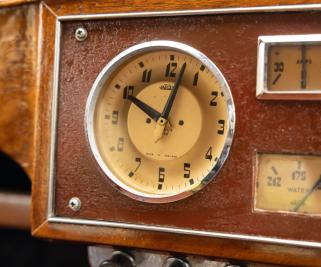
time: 10:02
